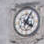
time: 4:04
